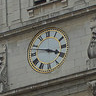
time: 3:47
